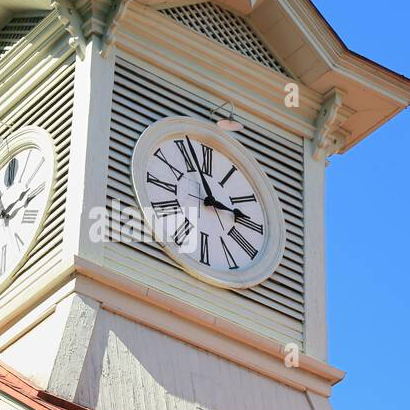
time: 2:56
